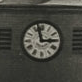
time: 2:57
